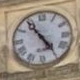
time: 4:54
